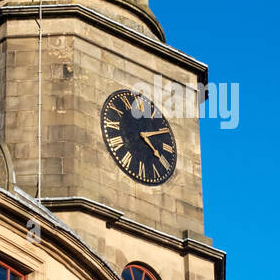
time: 2:21
